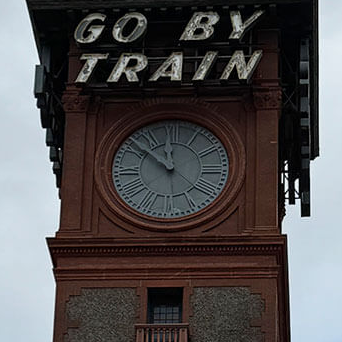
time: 11:51
